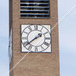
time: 1:38
